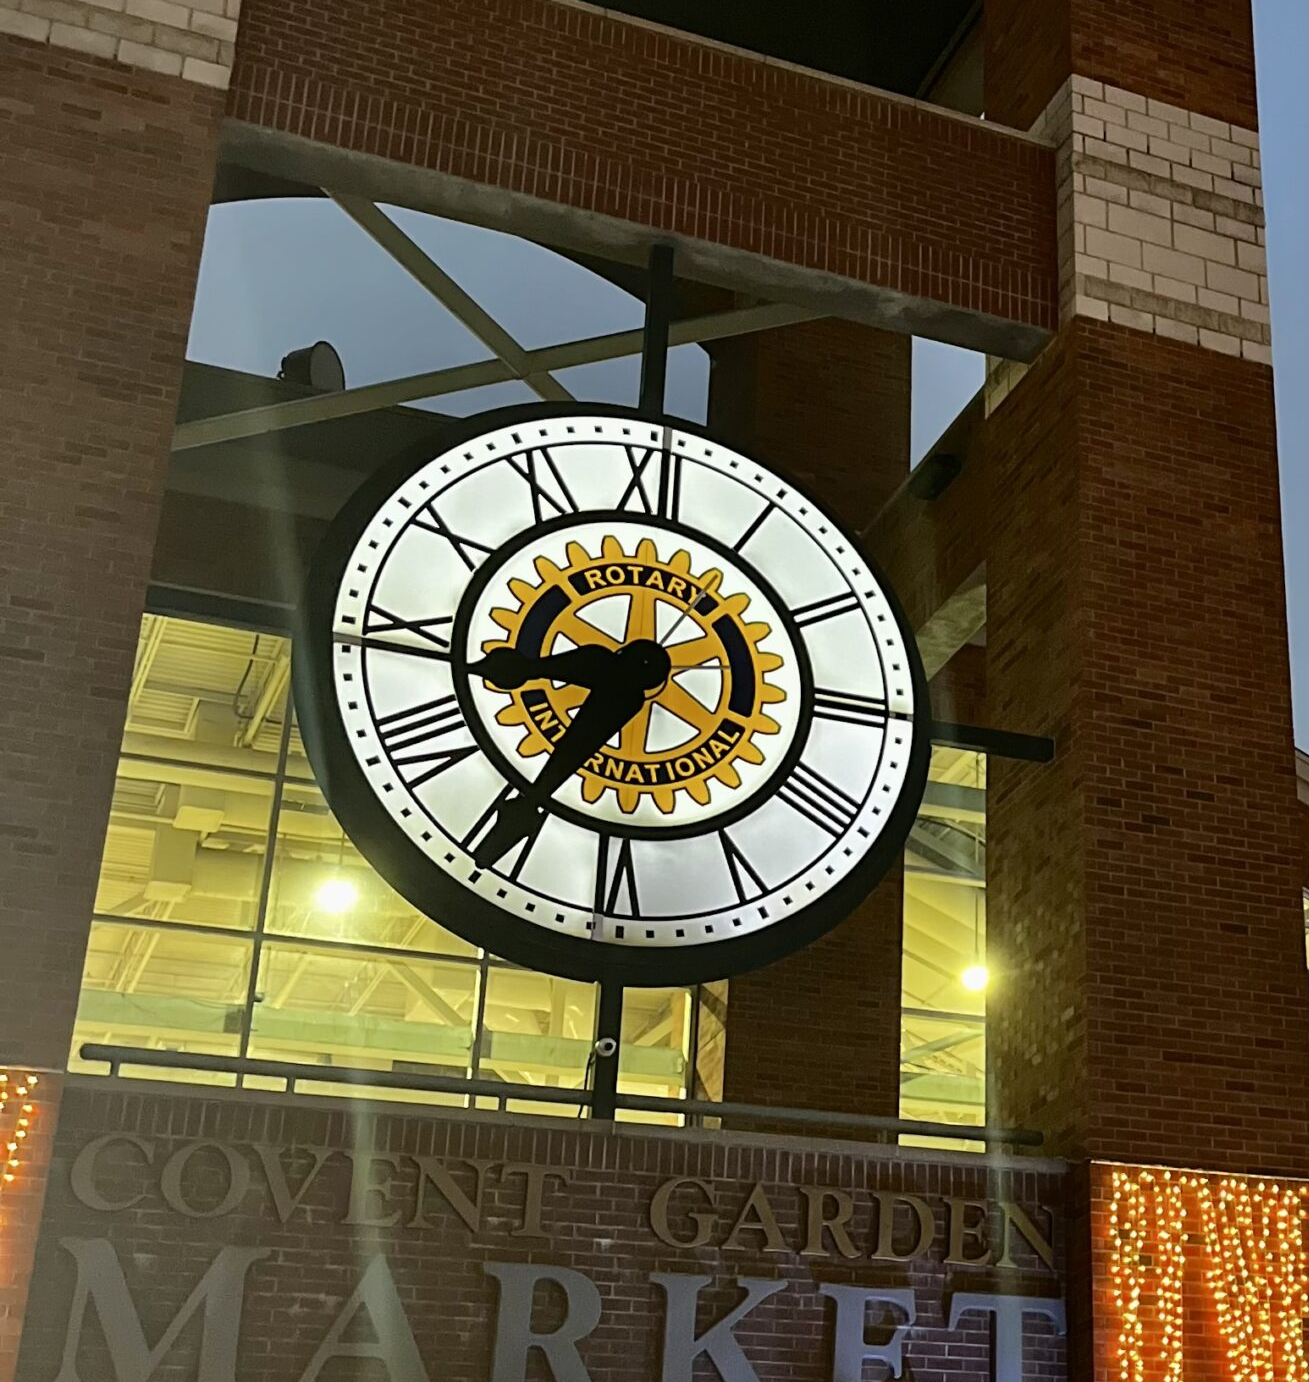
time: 10:34
